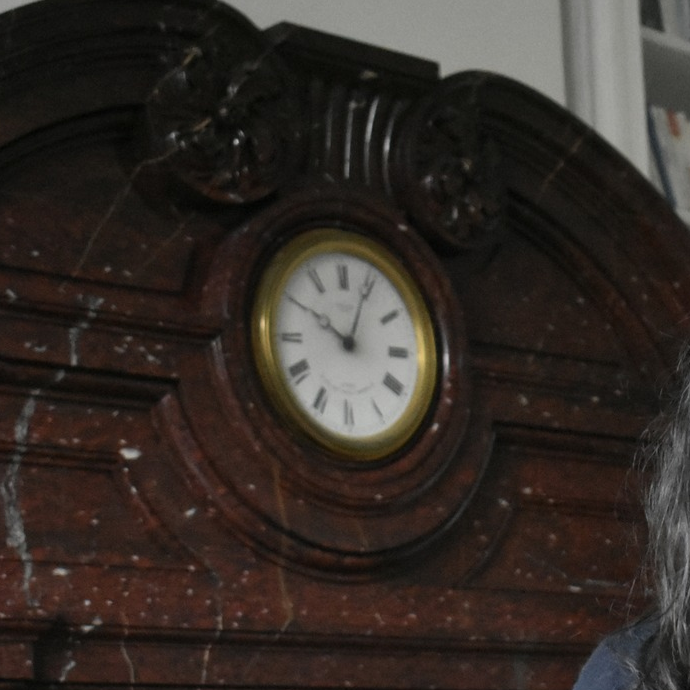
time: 10:04
